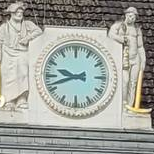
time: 9:42
